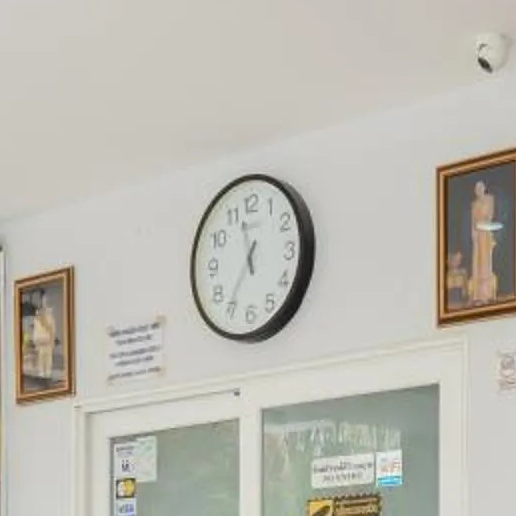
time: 11:35
